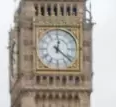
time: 12:21
